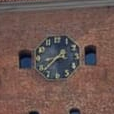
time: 8:38
